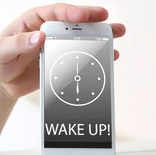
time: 6:00
